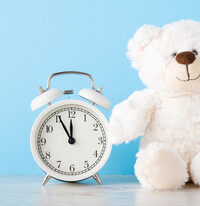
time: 11:55
